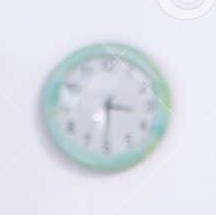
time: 3:30
